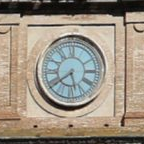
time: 5:39
